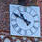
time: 10:49
